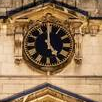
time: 4:59
